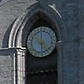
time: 5:59
